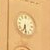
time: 6:28
